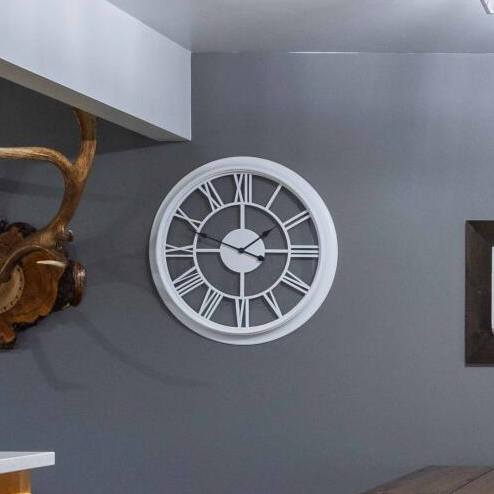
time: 1:49
